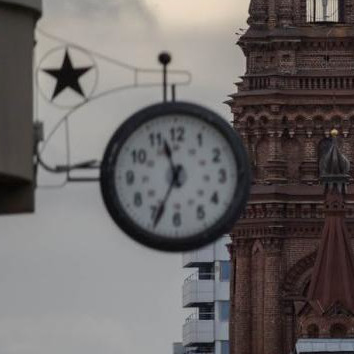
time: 11:34
